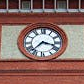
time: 3:37
